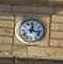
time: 12:16
